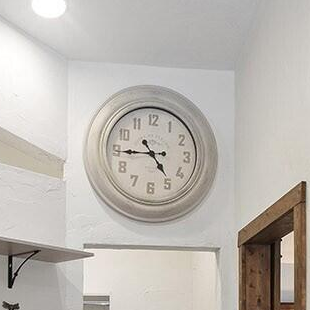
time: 4:44
